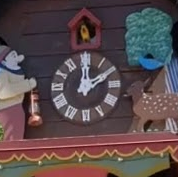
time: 12:09
